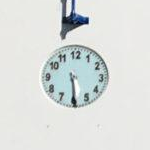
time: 5:29
